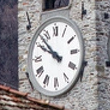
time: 9:52
